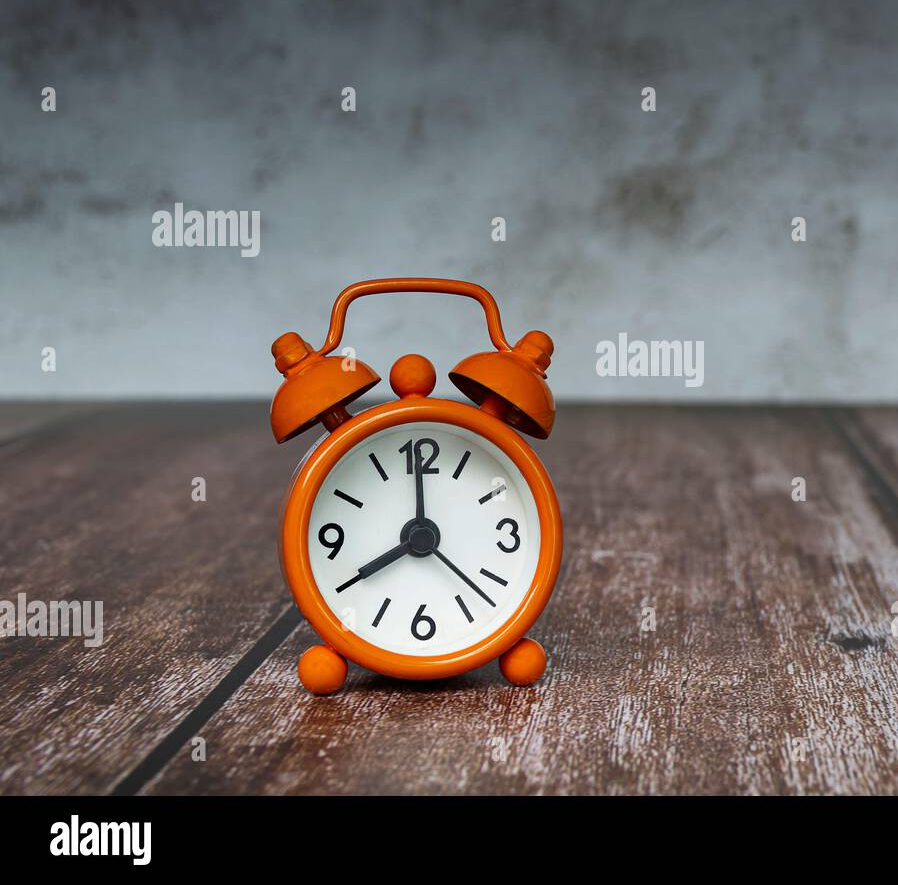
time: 8:00
